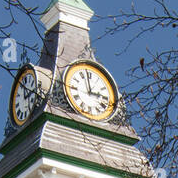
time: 2:58
